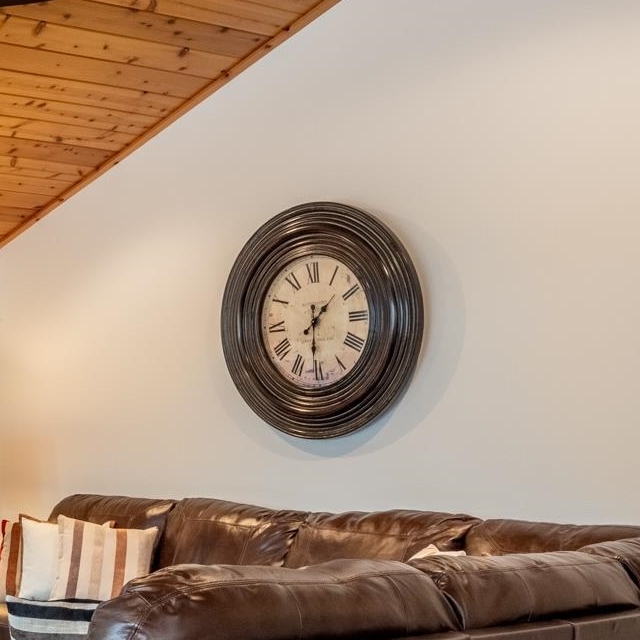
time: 1:30
